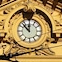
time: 11:52
